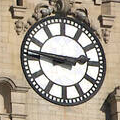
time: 2:46
